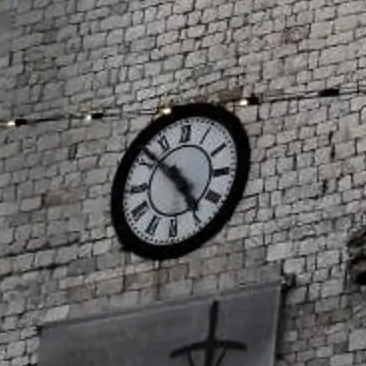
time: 4:51
